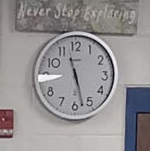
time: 11:27
